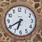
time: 6:40
